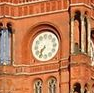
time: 7:36
